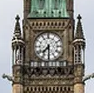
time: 7:30
